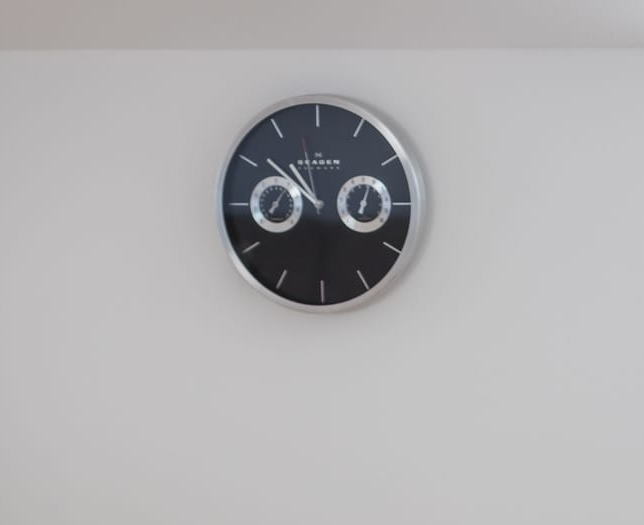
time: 10:31
